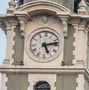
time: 5:12
